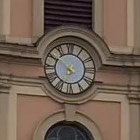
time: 6:50
